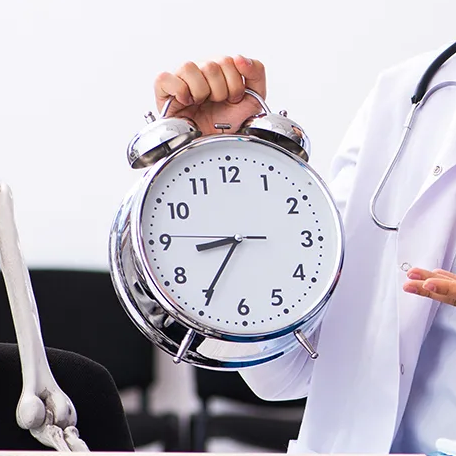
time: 8:35
